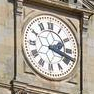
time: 3:18
